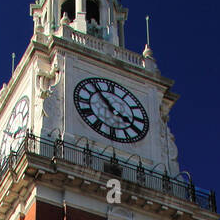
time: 3:53
